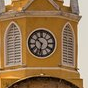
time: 10:32
